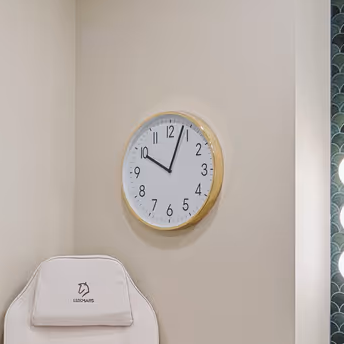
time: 10:03
